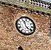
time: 11:21
